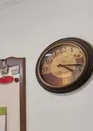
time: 4:16
